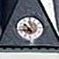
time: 10:42
